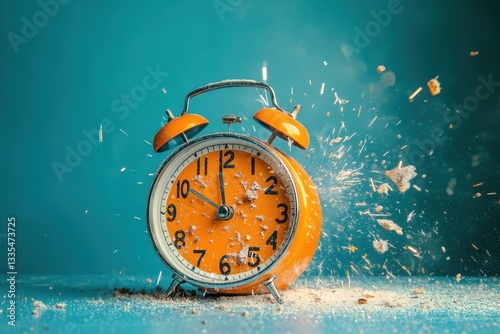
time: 11:50
